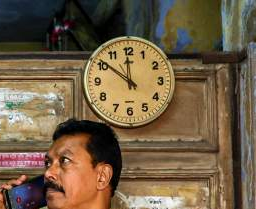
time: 11:51
